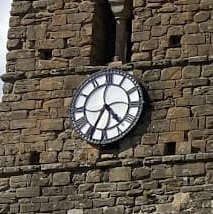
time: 4:34
